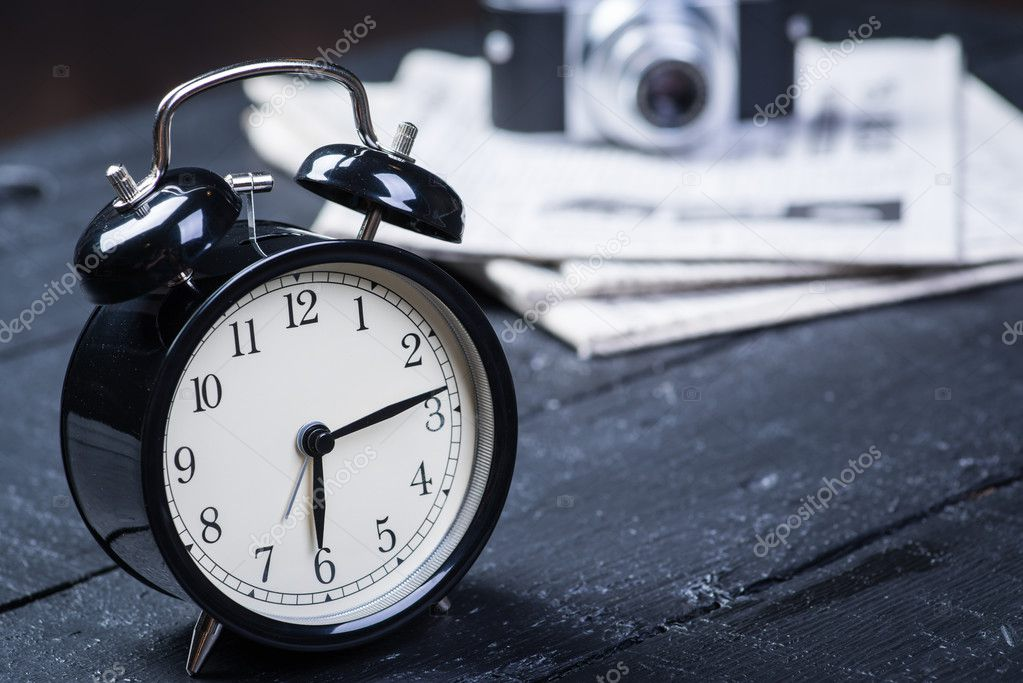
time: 6:13
